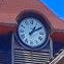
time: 1:09
